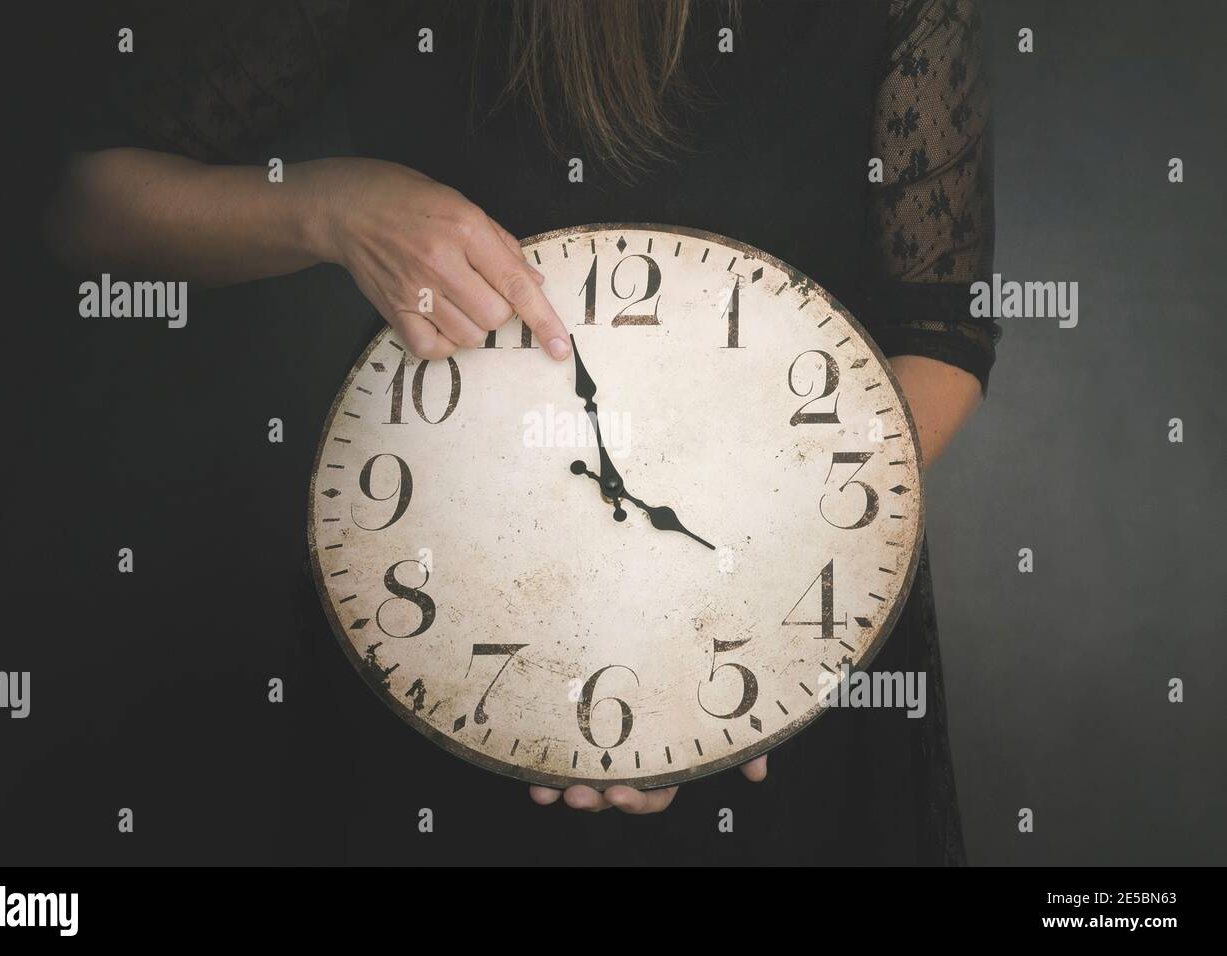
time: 3:57
